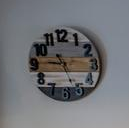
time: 10:45
